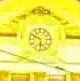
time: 5:49
